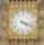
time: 4:18
